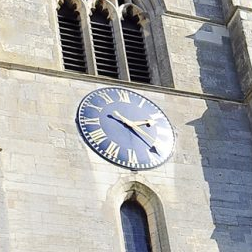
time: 2:21
